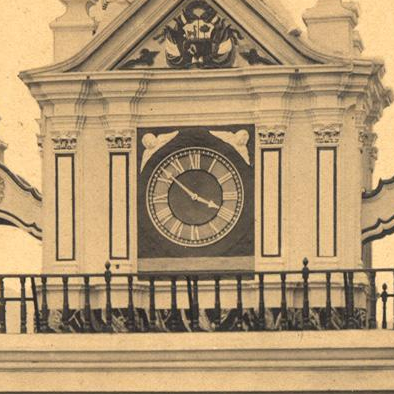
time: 3:51
